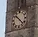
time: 10:22
